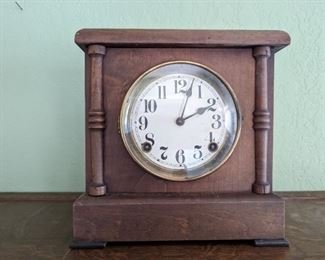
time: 2:03
